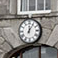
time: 12:05
